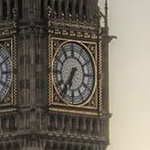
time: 6:36
